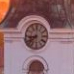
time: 8:38
